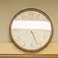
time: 5:15
